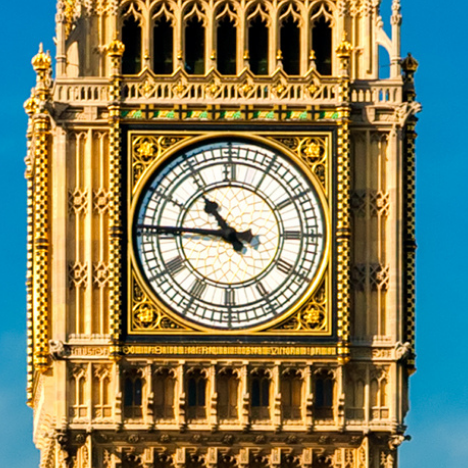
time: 10:45
